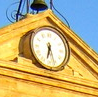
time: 6:26
